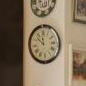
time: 11:52
